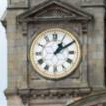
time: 1:09
